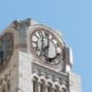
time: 7:32
